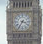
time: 3:35
